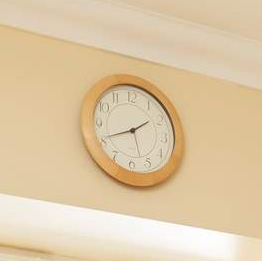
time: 1:40
